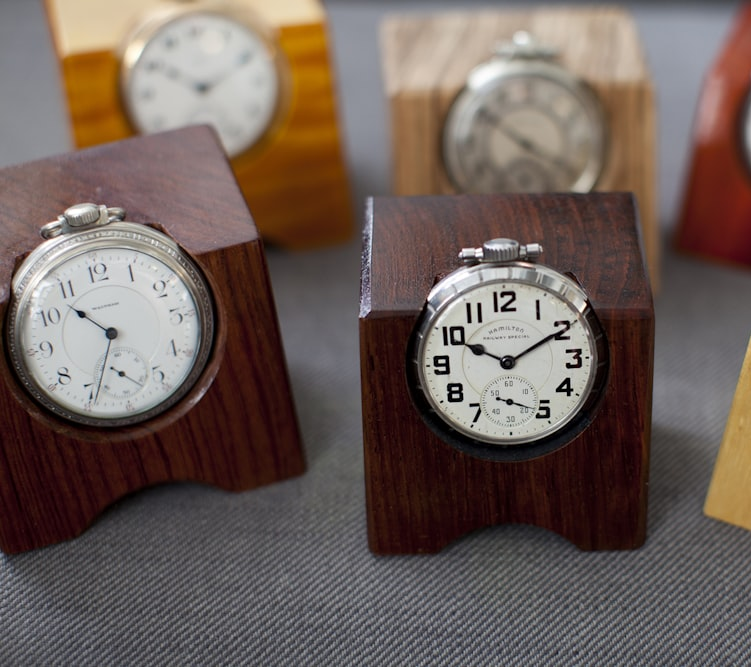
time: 10:34
